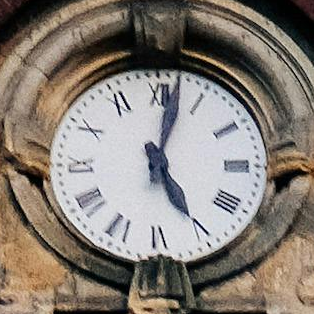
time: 5:02
